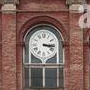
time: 3:16
